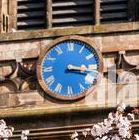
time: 3:16
